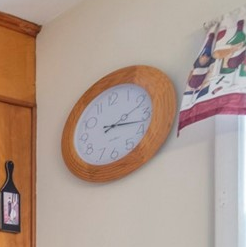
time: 2:17
